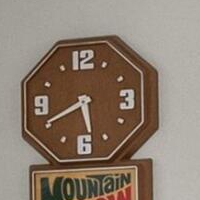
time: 5:40
